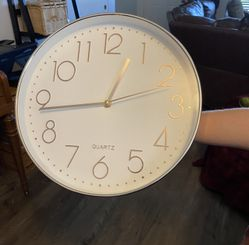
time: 12:43
